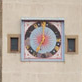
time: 7:00
